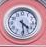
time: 4:28
